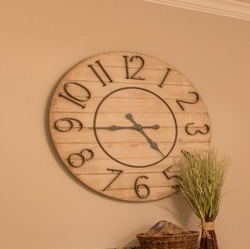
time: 4:44
